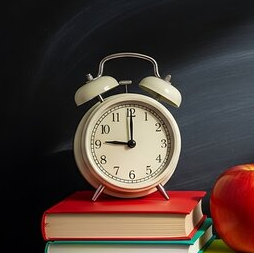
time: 9:00
